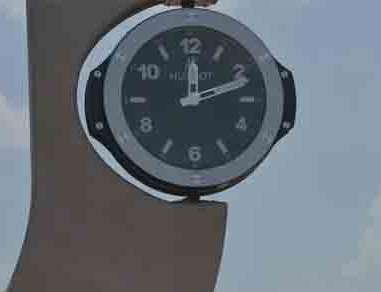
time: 12:11
